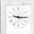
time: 9:15
